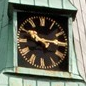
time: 10:14
